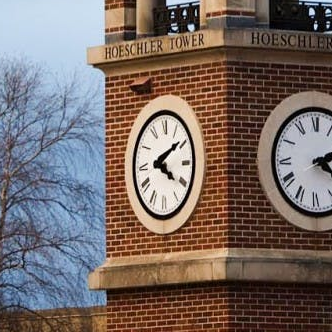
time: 4:09
